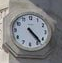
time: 4:23
